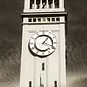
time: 1:18
